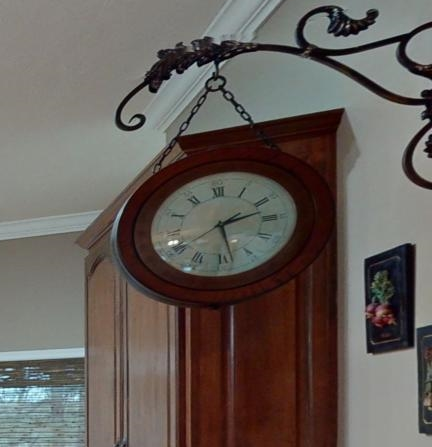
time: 2:28
